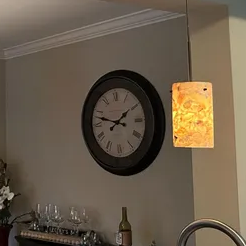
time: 1:47
